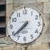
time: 7:38
